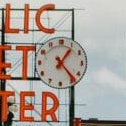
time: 1:23
